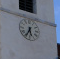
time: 5:34
